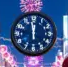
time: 11:58
